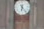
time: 6:23
